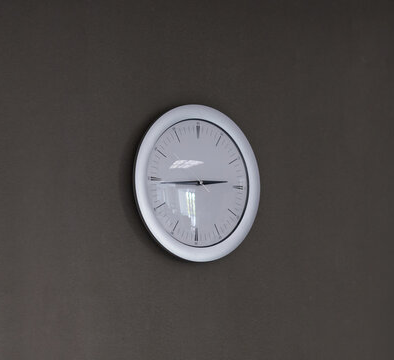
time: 2:44
